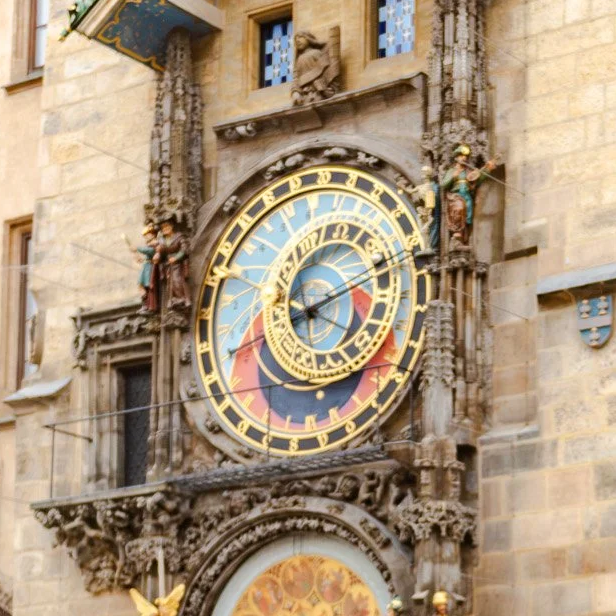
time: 8:11
